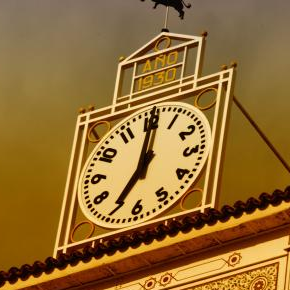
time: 7:00
